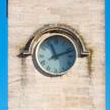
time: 11:11
